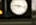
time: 9:17
